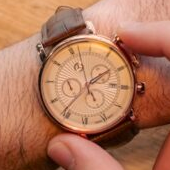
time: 1:36
